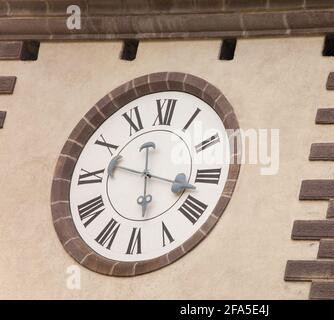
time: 5:46
